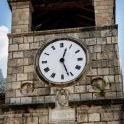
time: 12:26
